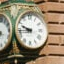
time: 9:43
